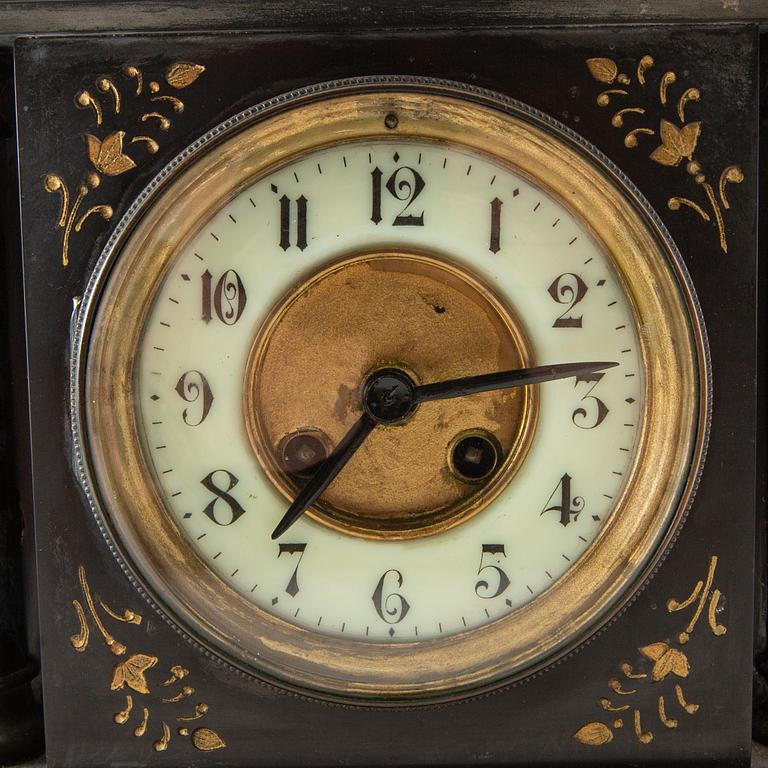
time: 7:13
